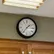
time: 1:36
